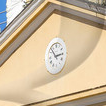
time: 2:52
